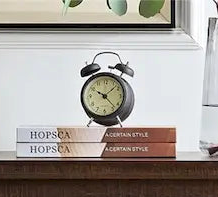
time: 10:07
